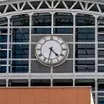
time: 4:32
